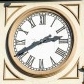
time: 2:40
